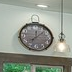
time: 12:07
